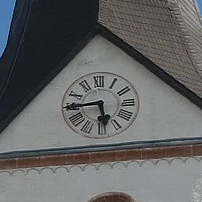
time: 5:44
